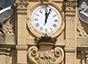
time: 12:03
